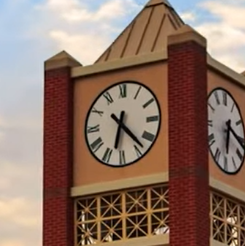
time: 6:22
